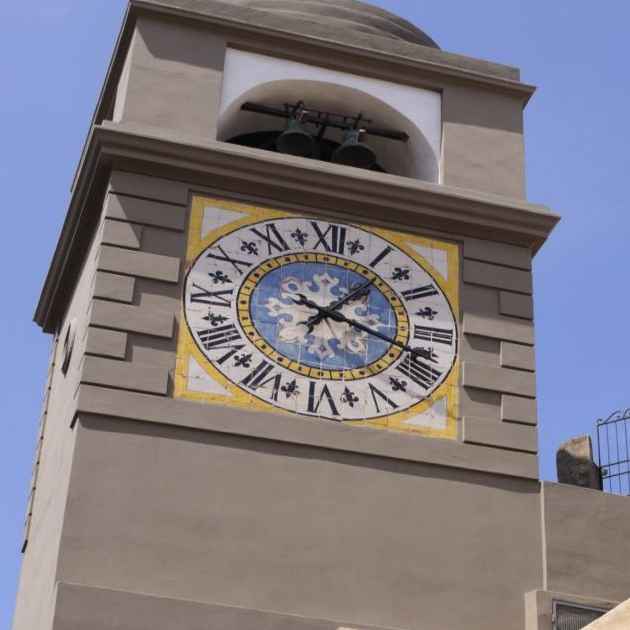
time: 1:18
